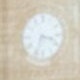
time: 3:33
